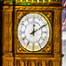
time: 12:10
